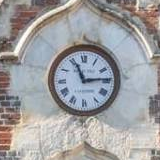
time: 11:14
